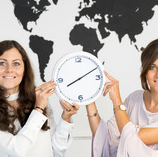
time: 8:10
